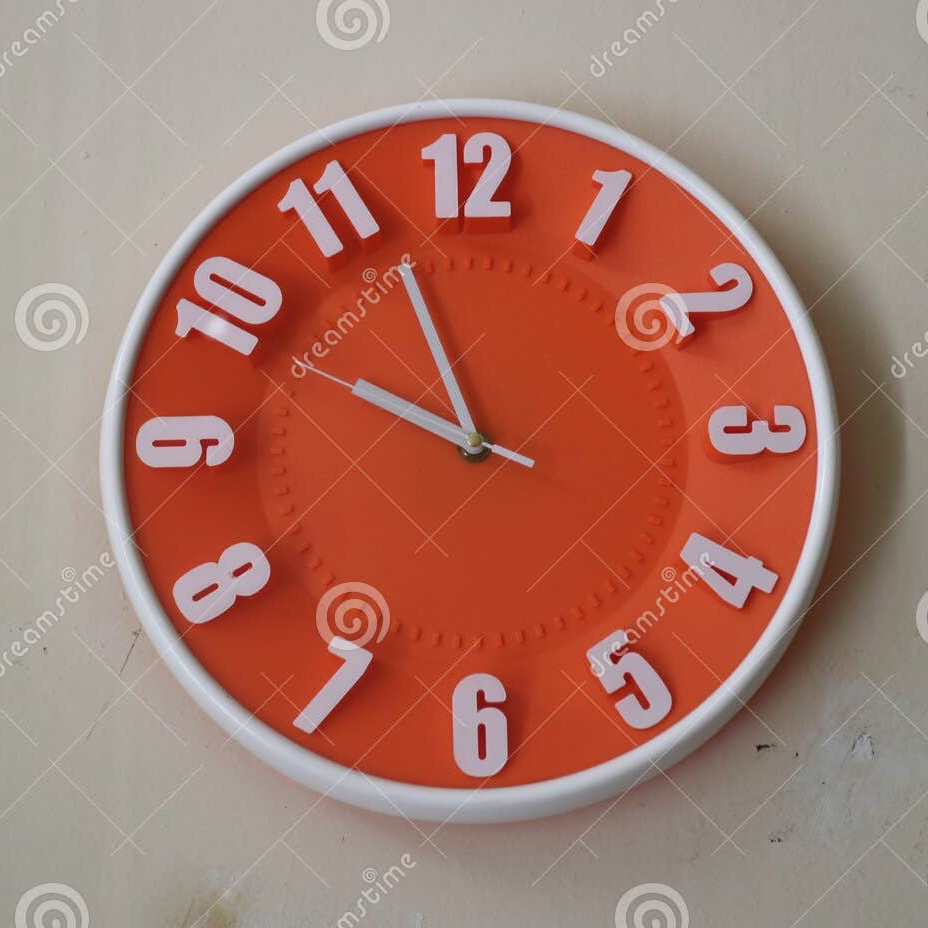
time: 9:56
